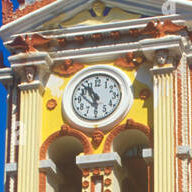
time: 5:53
